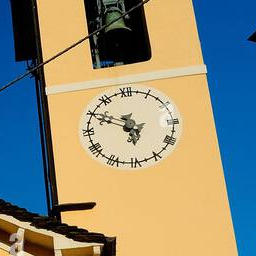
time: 5:49
